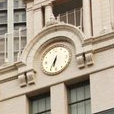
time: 6:34
